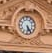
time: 5:24
